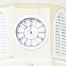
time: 11:52
